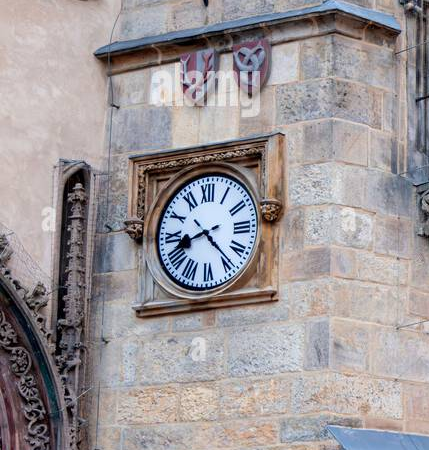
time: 8:23
